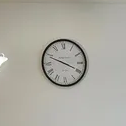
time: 3:48
